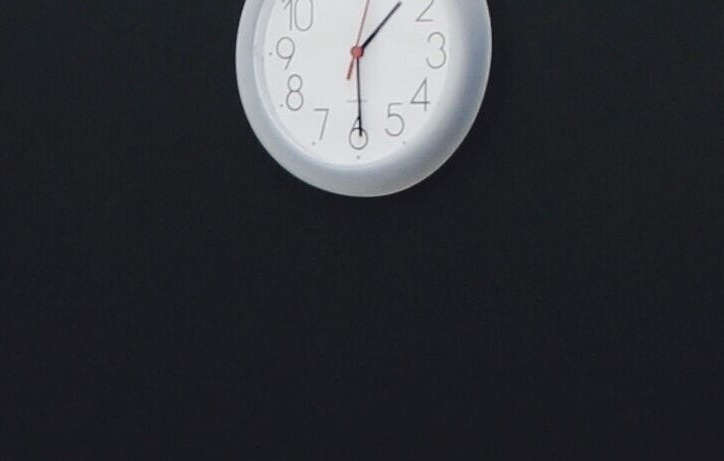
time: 1:29
